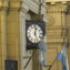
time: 12:26
